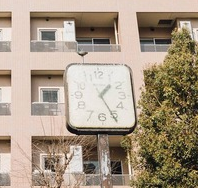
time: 1:25
